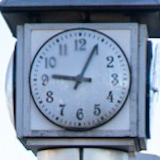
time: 9:04
